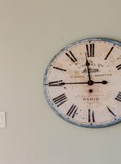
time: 11:44
